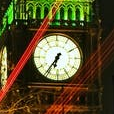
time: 6:36
